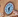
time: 6:07
